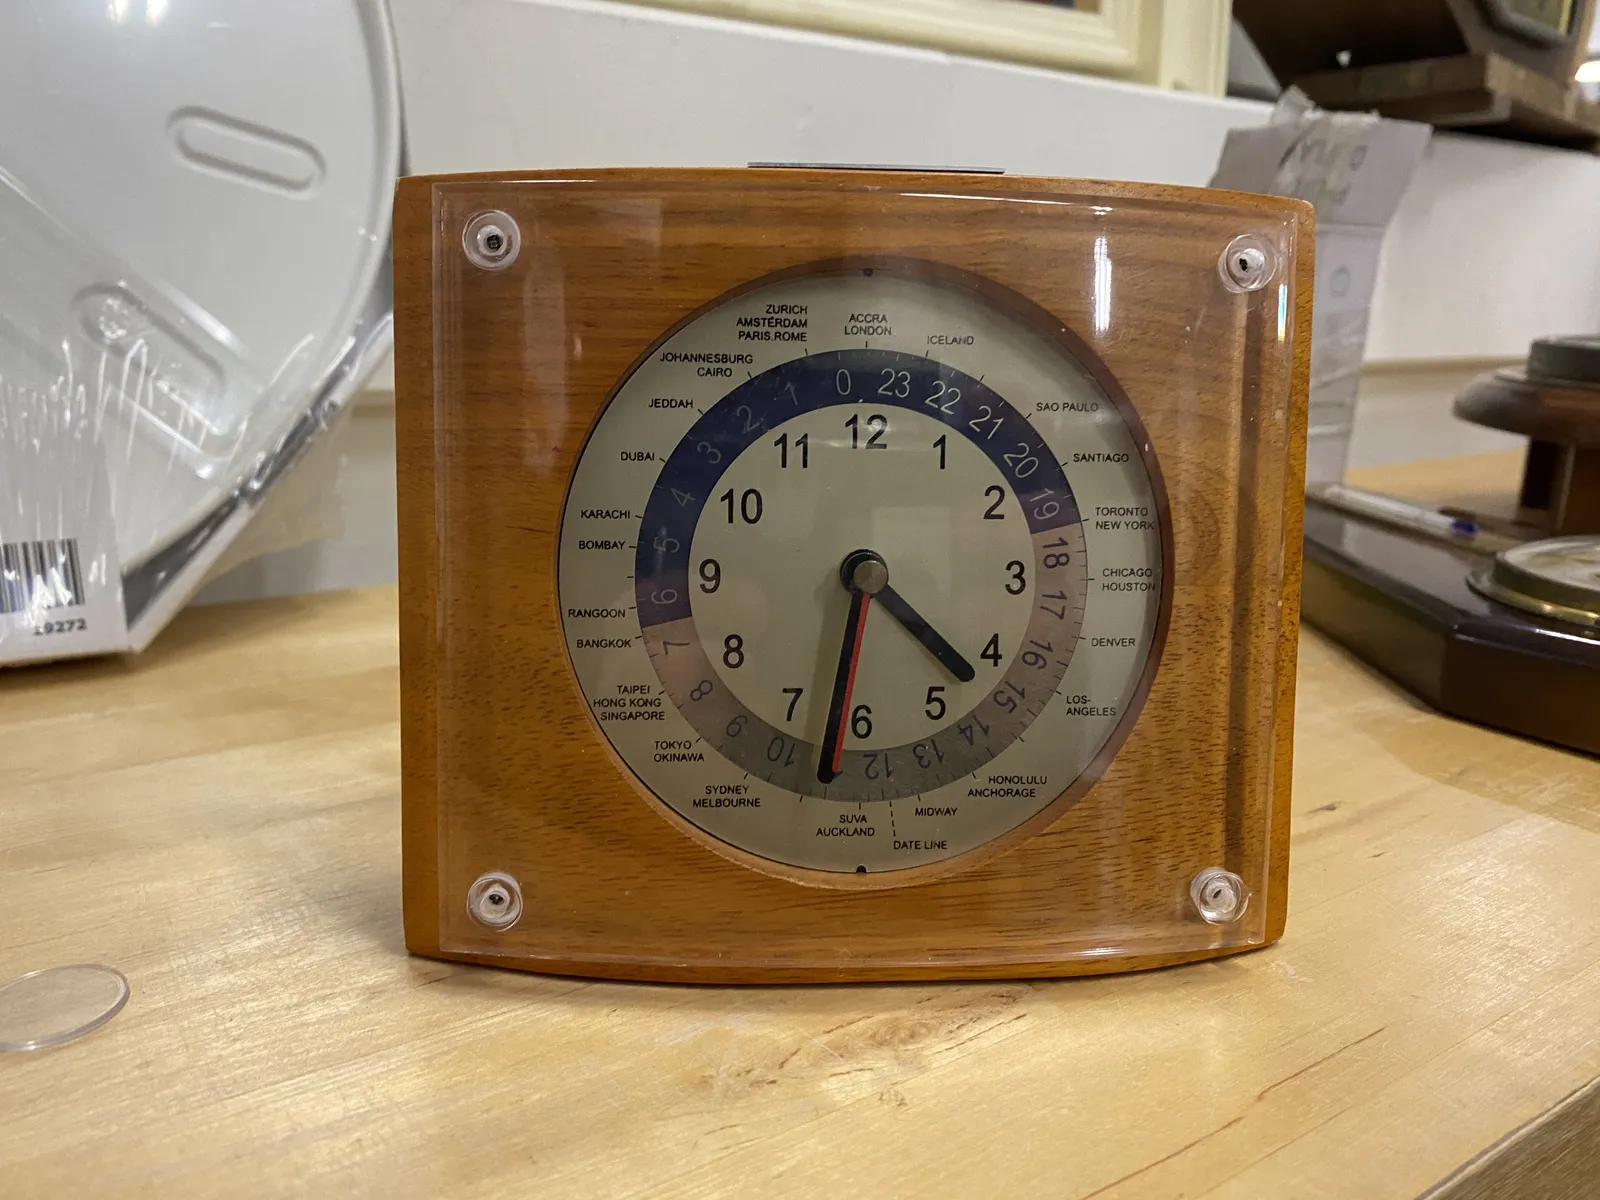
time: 4:31
